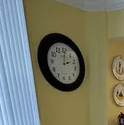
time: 2:00
